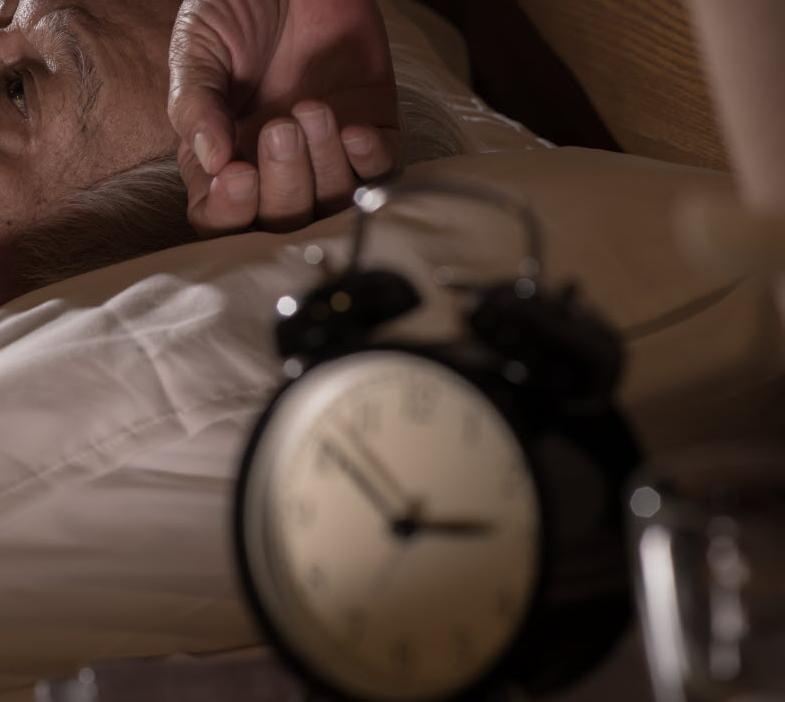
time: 2:52
